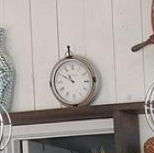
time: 10:49
